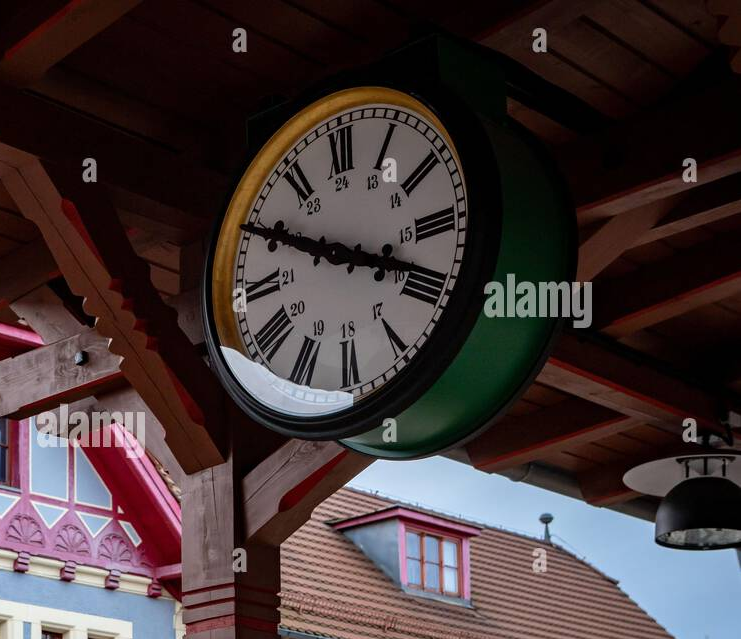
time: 3:49
